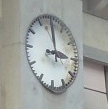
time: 2:59
